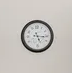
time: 5:15
